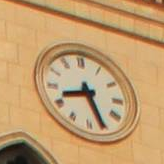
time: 8:26
